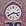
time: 3:40
